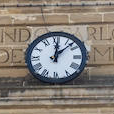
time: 12:07
